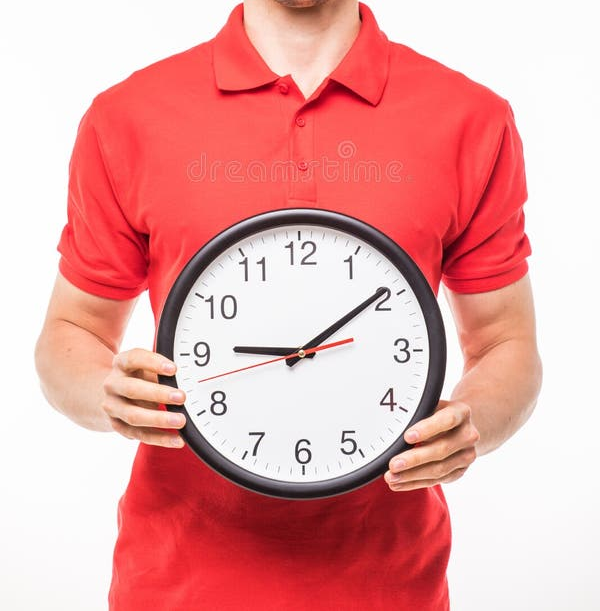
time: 9:09
